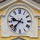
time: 9:36
